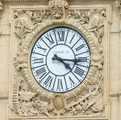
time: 4:15
